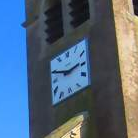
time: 2:48
